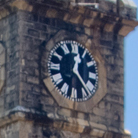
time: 12:23
